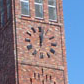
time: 12:01
